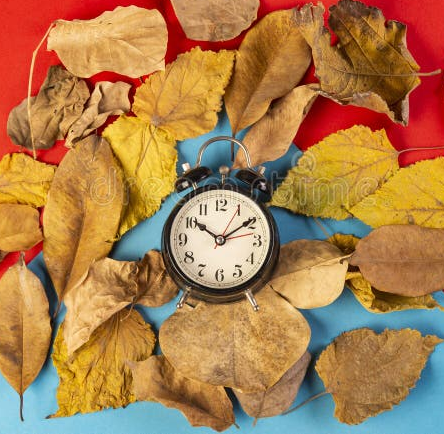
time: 10:09
